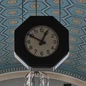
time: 12:49
